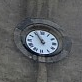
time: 10:55
